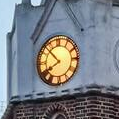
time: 7:52
